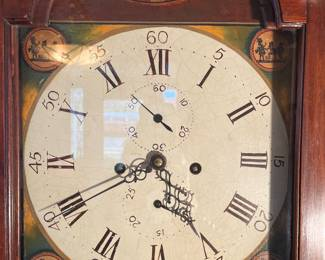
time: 4:40
